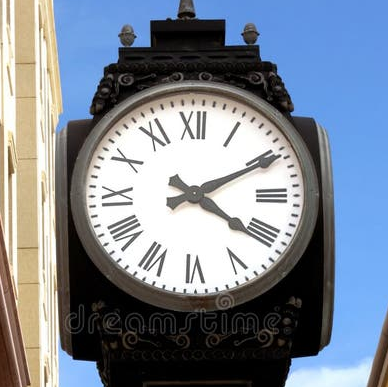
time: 4:10
